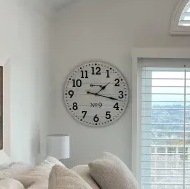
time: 1:17
